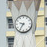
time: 9:35
